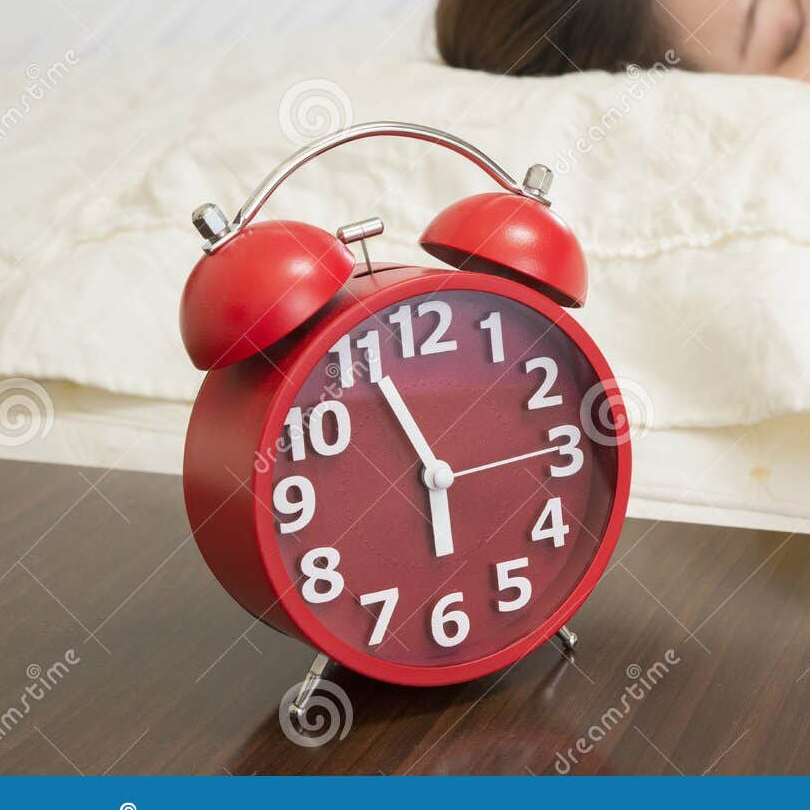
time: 5:55
